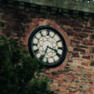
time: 3:33
